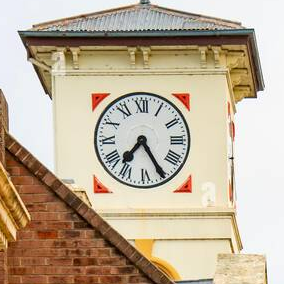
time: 7:25
